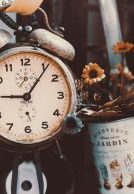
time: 9:06
